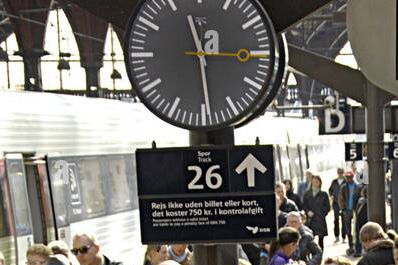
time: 11:29
